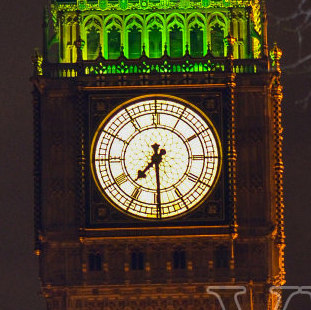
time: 7:29
